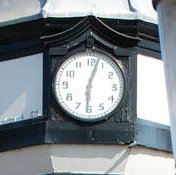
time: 6:03
